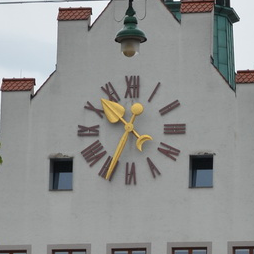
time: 10:34
